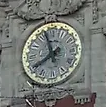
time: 7:57
